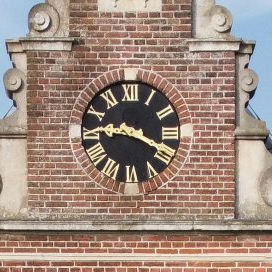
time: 9:19
